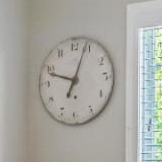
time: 6:48
